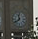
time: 11:38
